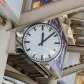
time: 12:08
